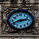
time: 2:41
